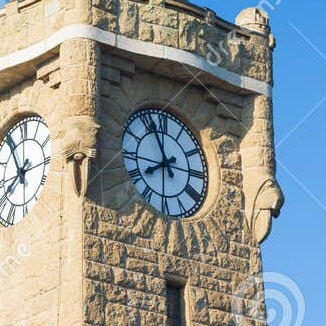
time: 7:55
